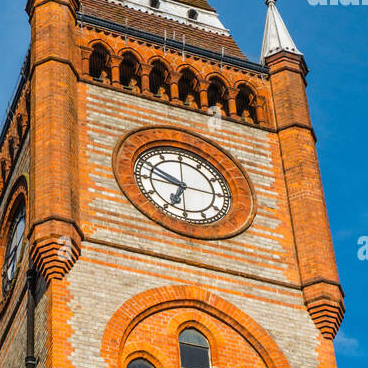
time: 6:49
